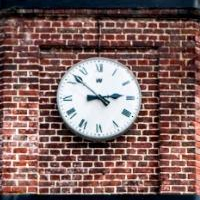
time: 2:52
